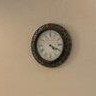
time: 4:19
